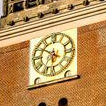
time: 6:50
